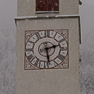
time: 2:28
